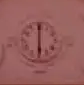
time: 6:00
